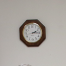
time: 2:15
